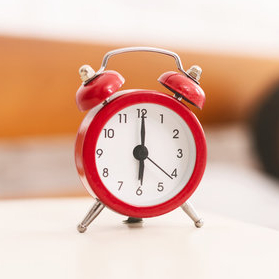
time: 6:00
